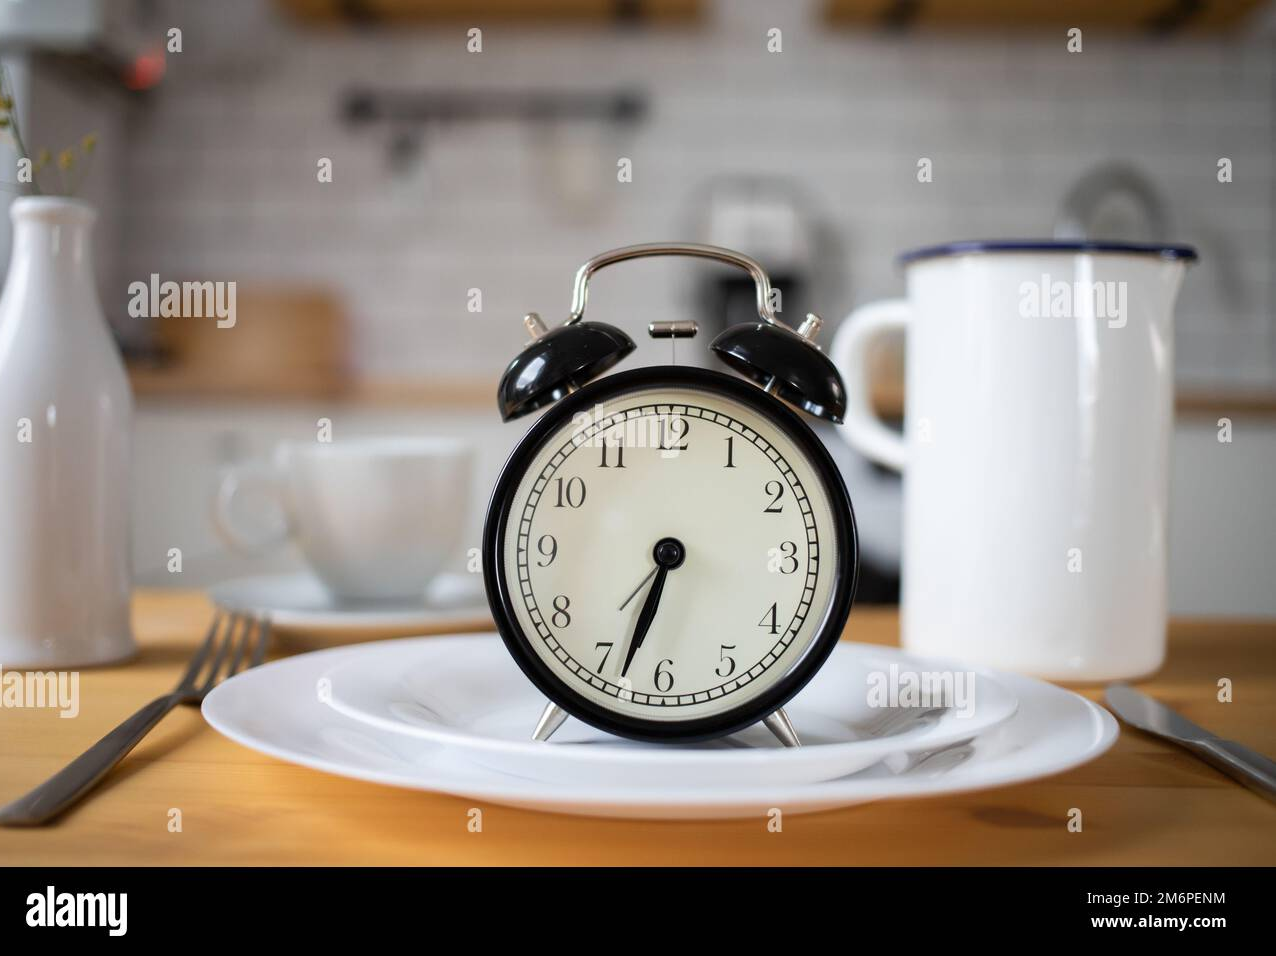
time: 6:33
